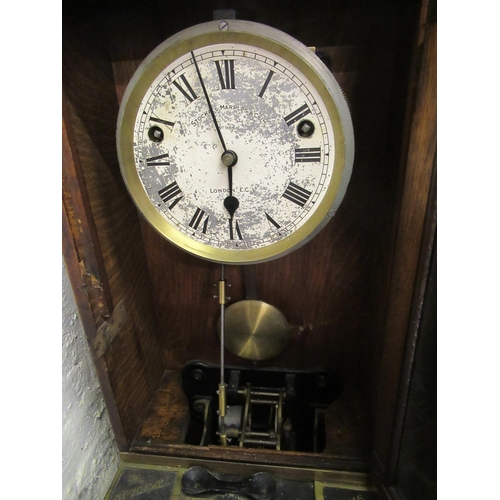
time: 5:57
